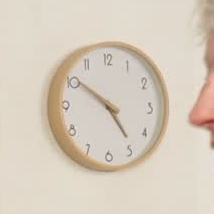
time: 4:50
